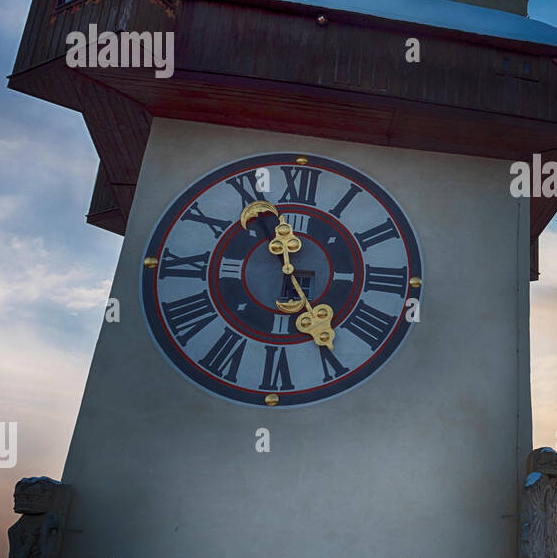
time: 11:24
